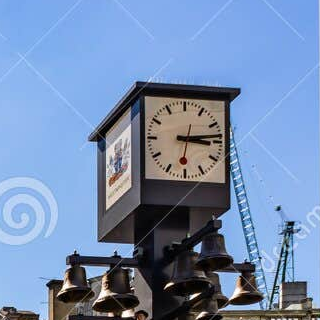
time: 3:13
